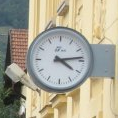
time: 4:13
